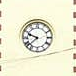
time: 9:38
